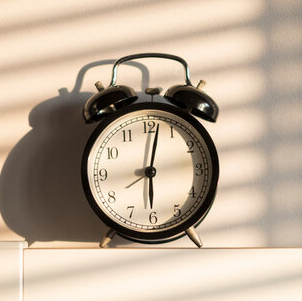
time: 6:02
